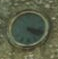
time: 4:17
